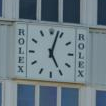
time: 5:03
